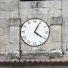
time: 4:04
